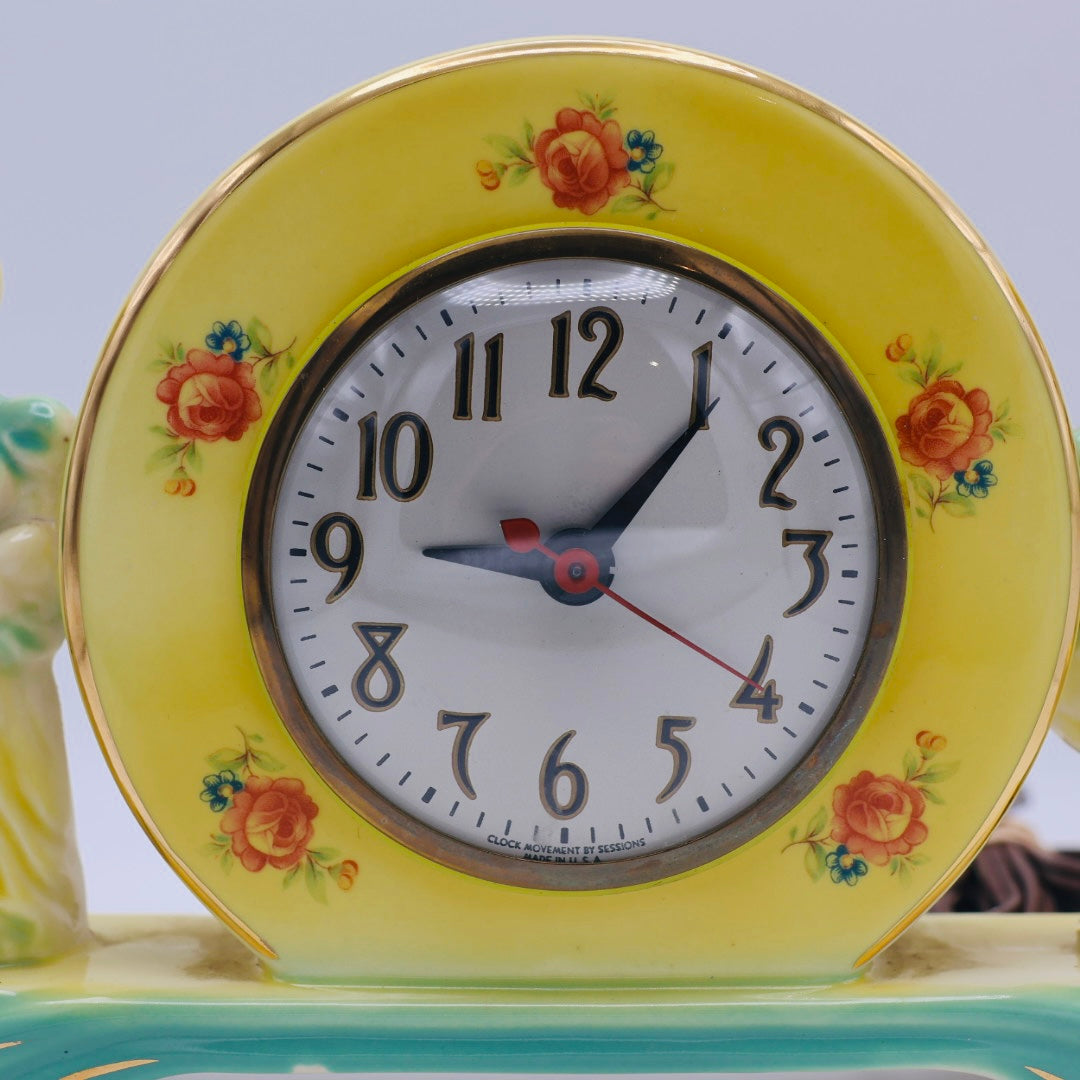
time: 9:06
